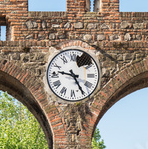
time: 9:25
